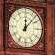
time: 12:07
